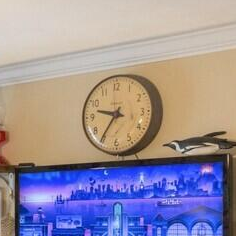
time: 9:35
